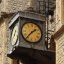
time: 1:36
